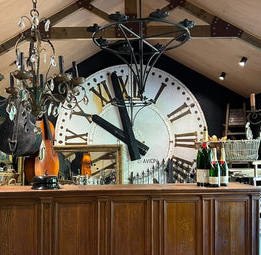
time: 9:57
